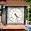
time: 4:27
